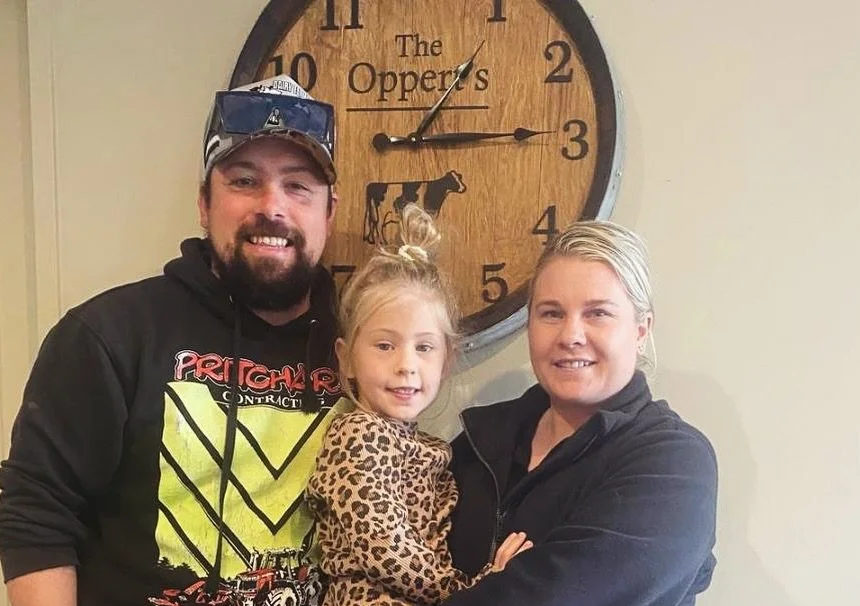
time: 1:14
